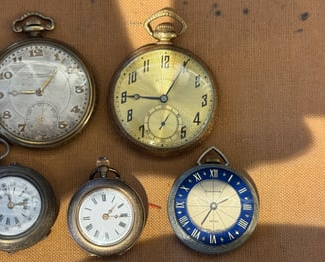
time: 9:05
